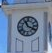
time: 11:19
